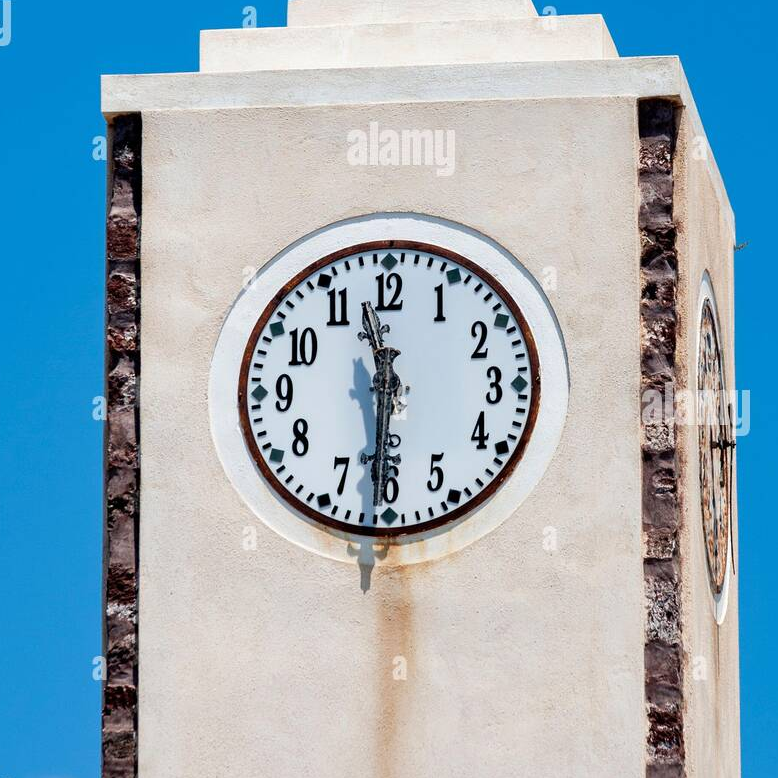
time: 11:30
